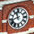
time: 11:42
